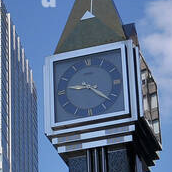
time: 9:22
